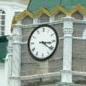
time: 3:21
